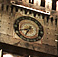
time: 8:35
